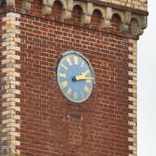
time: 2:13
